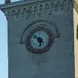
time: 5:51
